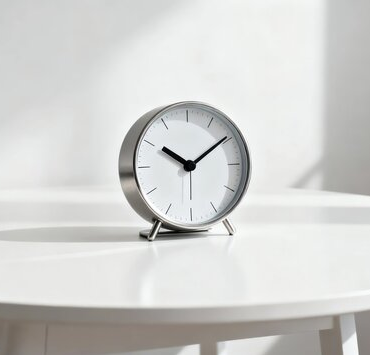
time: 10:09
